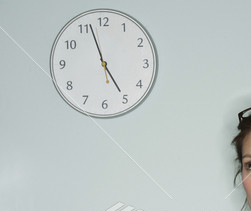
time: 4:56
